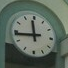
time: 11:43
